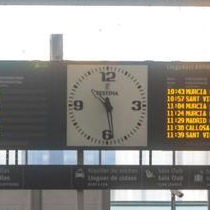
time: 10:28
